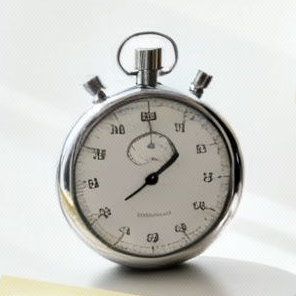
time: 1:39
